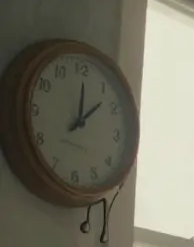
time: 12:07
